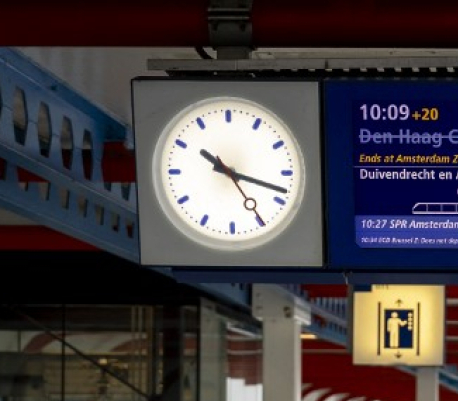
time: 10:18
